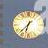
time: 6:37
